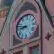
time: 8:47
